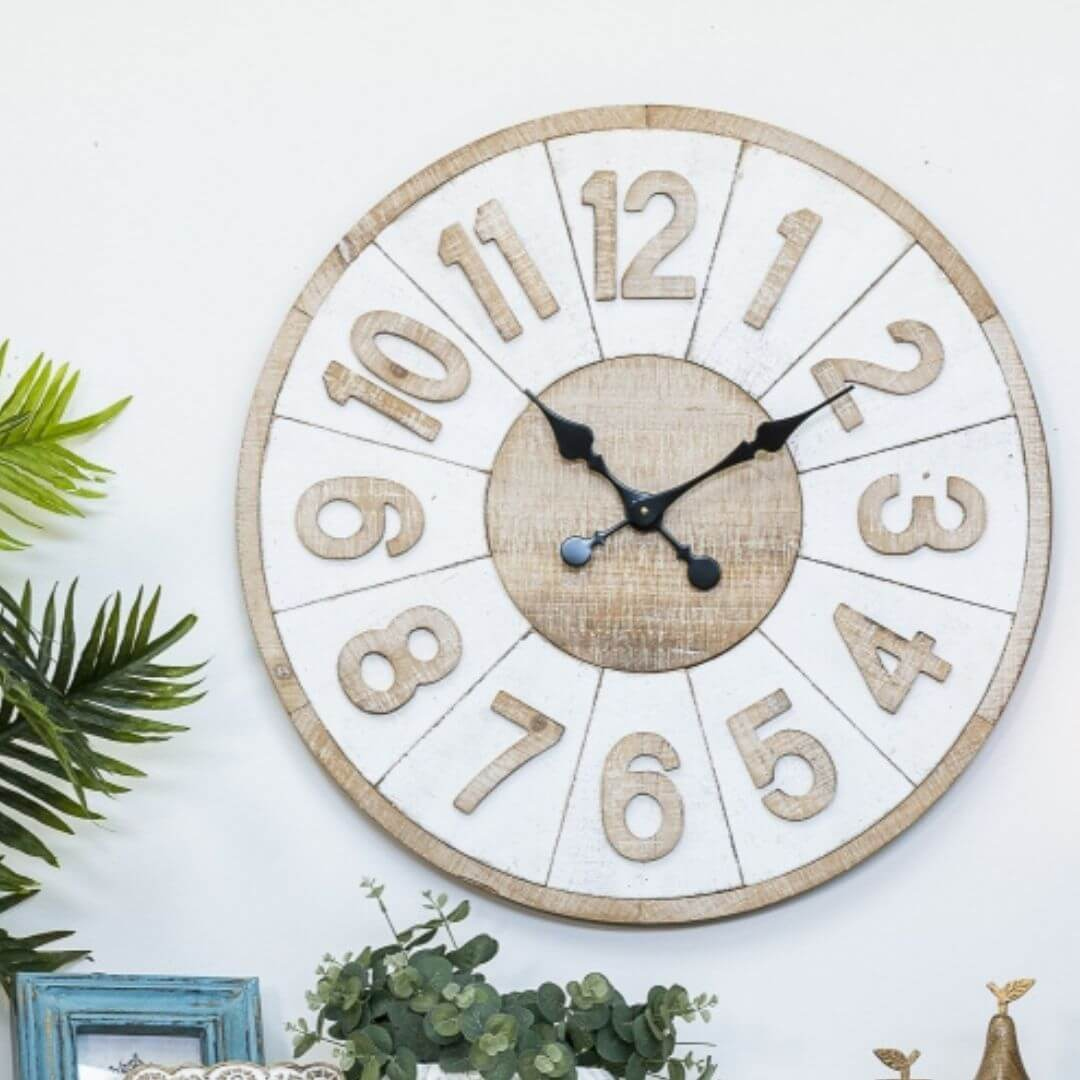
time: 1:52
